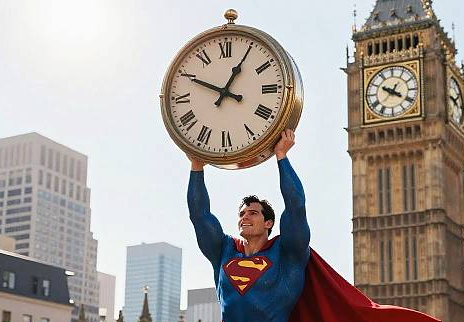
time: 12:49
